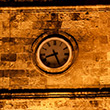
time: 8:25
